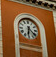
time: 6:21
